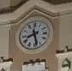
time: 8:27
